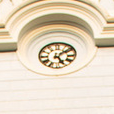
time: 5:08
